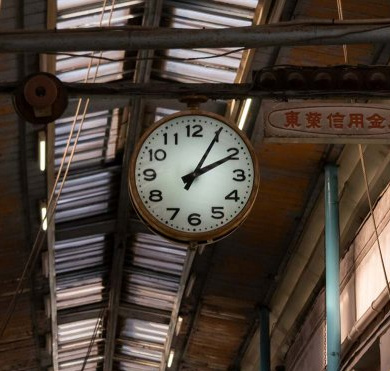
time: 2:05
